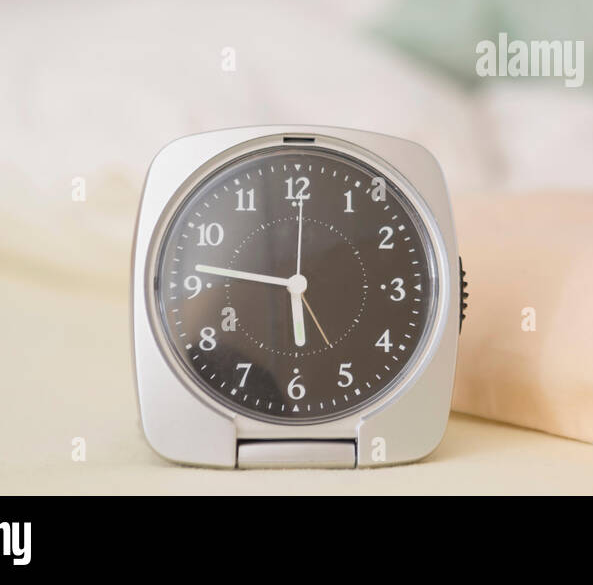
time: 5:46
